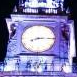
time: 8:14
